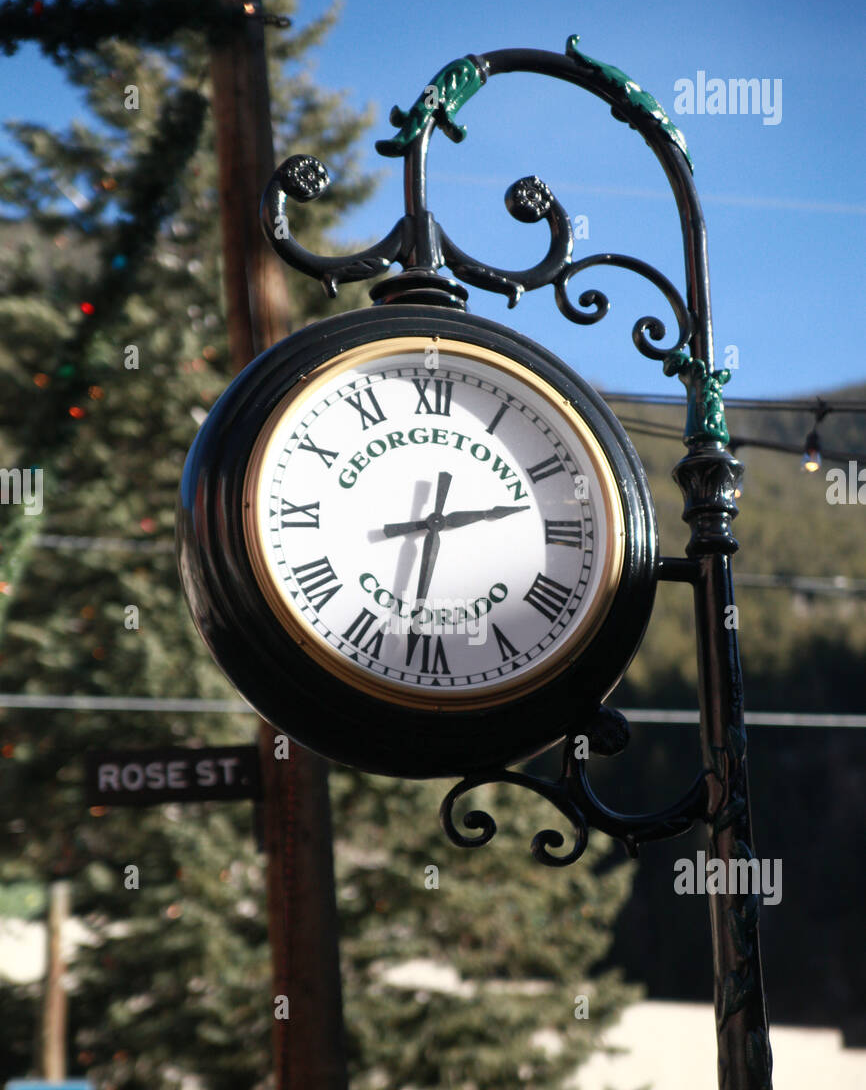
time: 2:31
